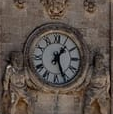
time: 1:26
